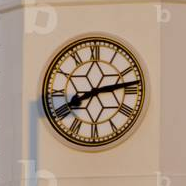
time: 8:13
